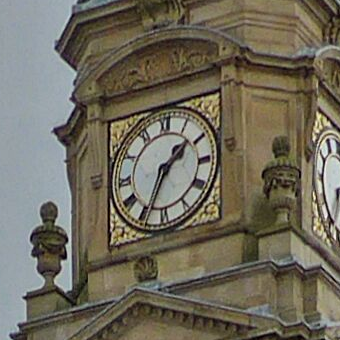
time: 1:34
